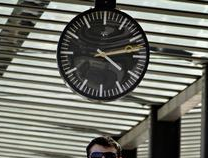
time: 4:12
